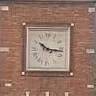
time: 10:16
